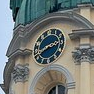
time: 2:40
